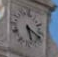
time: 5:18
